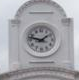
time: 1:47
